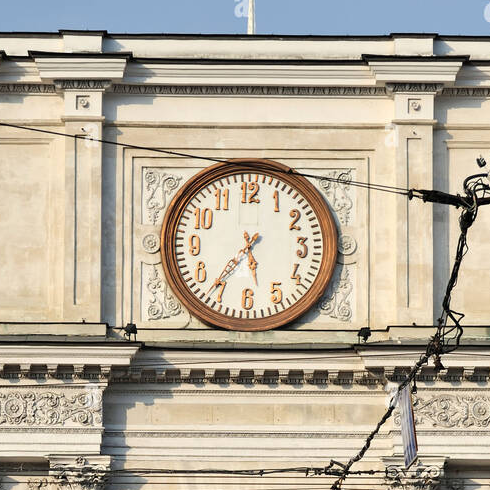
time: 5:36
